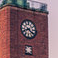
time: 8:21
